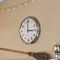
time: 2:58
